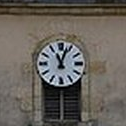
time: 11:03
